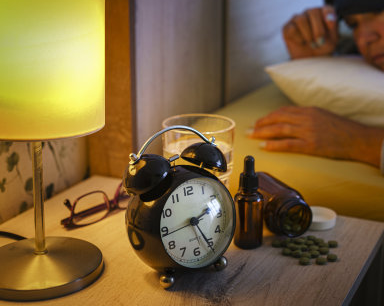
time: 2:24
